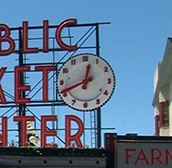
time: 12:41
